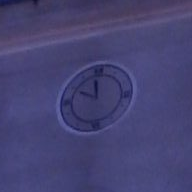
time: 11:49
